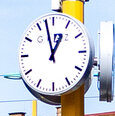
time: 12:57
